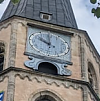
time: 9:59
